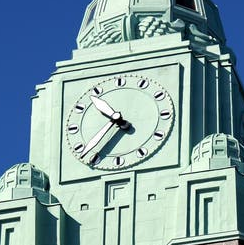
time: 10:36
